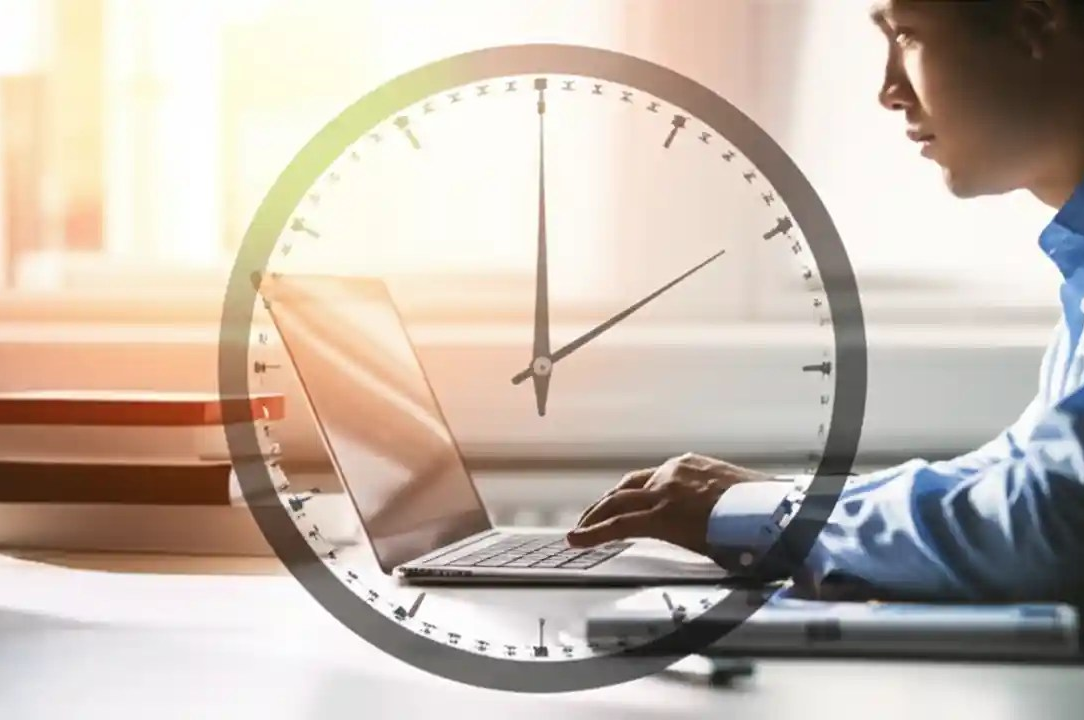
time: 2:00
